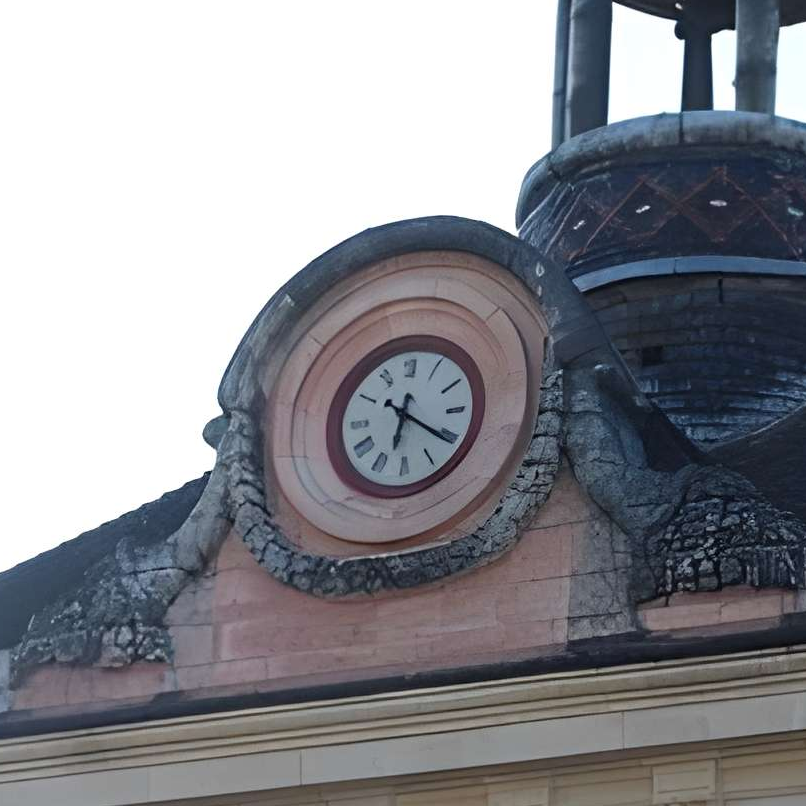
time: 6:20
